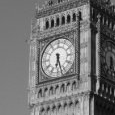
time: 6:27
